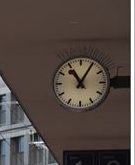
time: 11:05
